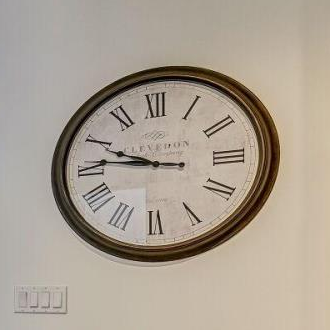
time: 9:45
